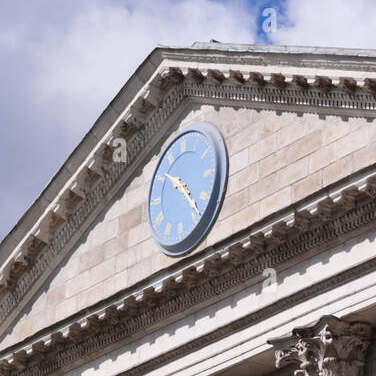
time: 10:23
